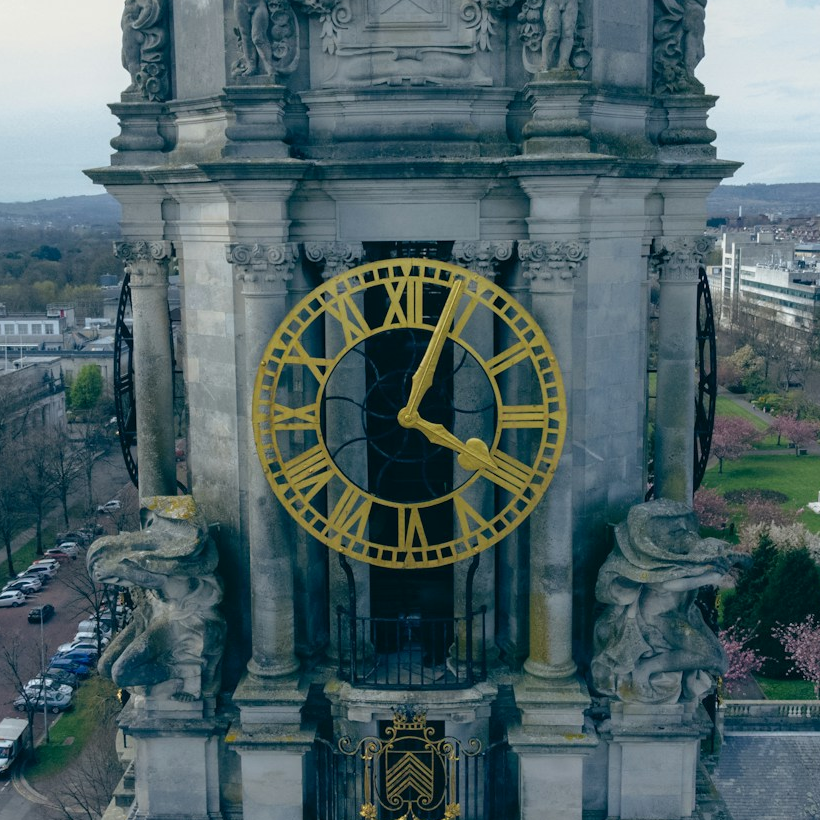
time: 4:04
